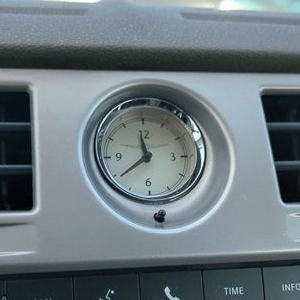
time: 11:39
